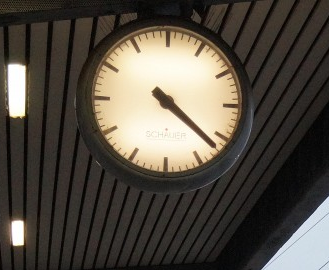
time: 4:21
